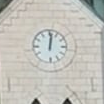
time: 12:01
